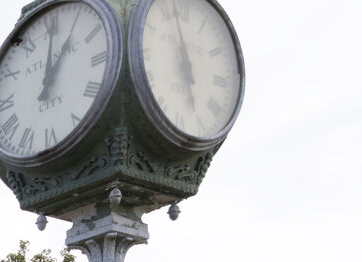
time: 5:57
